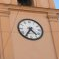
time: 4:35
